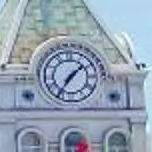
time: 1:36
